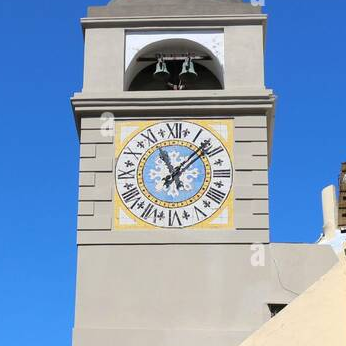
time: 11:07
